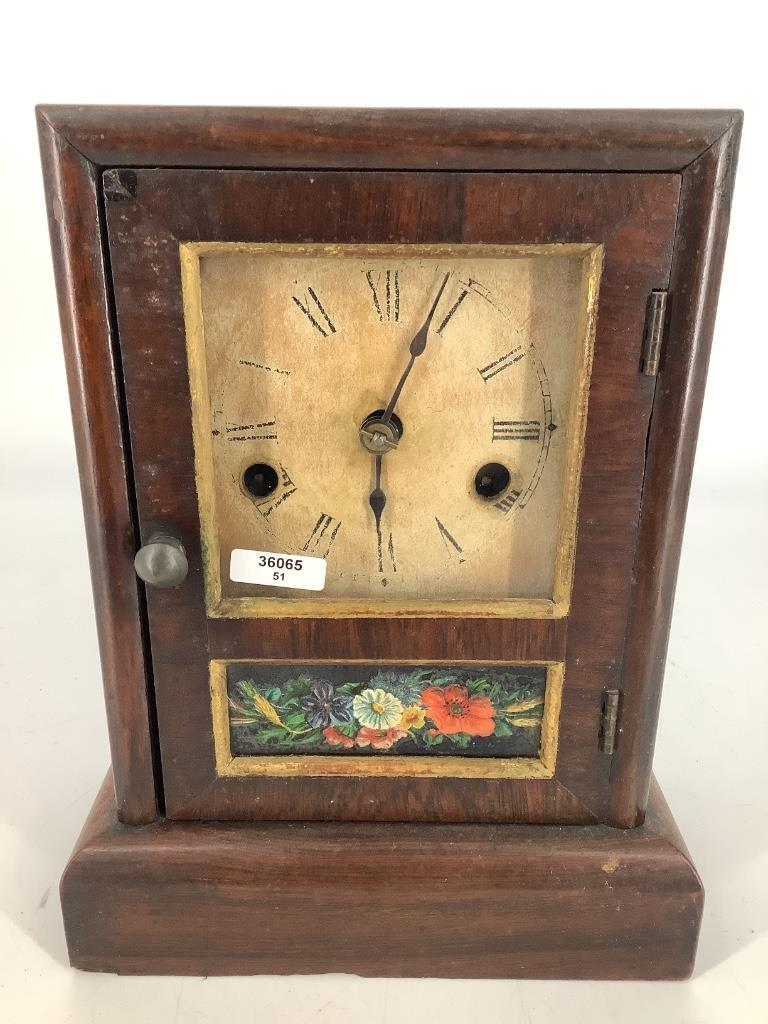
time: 6:03
